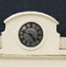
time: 4:48
